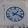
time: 1:18
